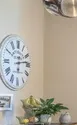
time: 6:13
